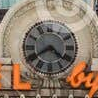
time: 4:40
